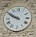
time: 9:50
